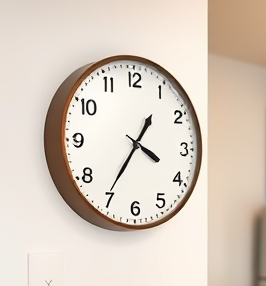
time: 3:35
